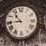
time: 10:44
